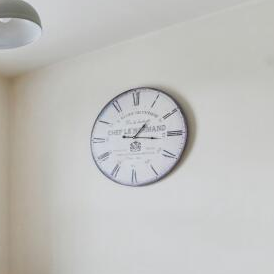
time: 1:16
